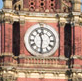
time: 11:31
